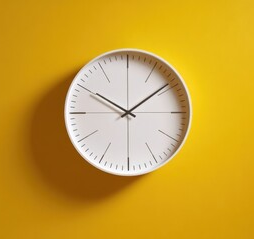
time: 10:08
